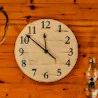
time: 11:52
